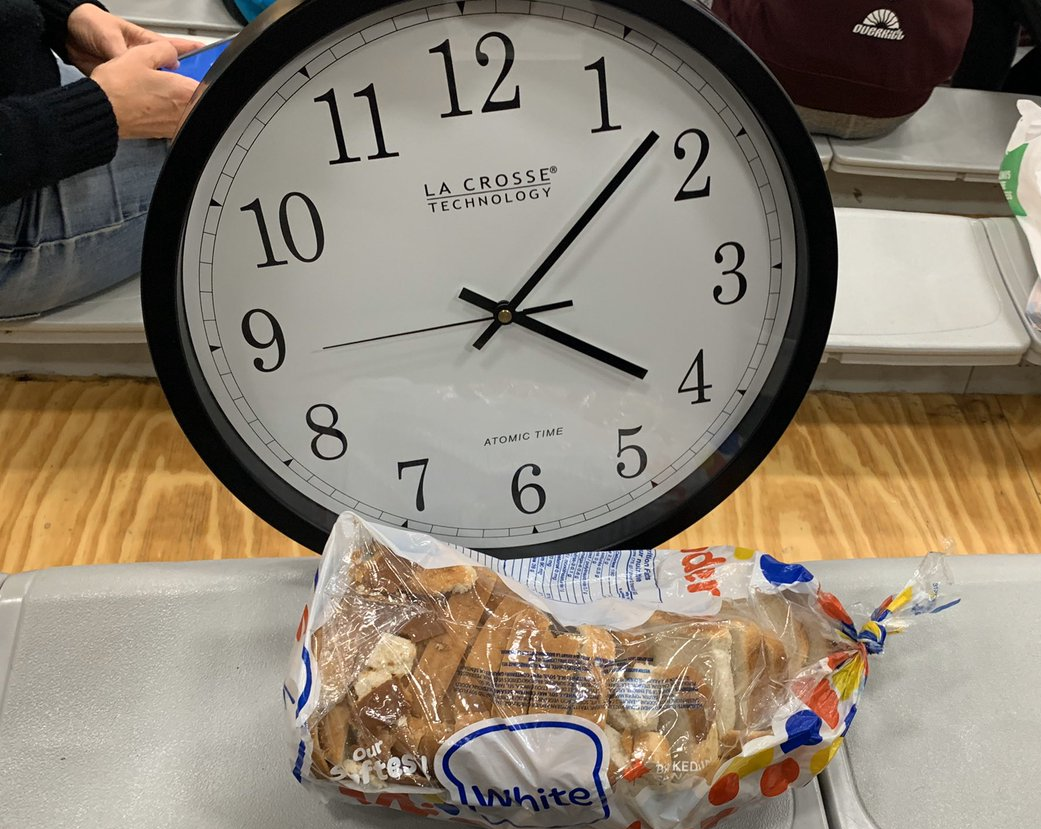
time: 4:07
